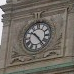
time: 10:23
